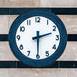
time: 2:29
